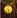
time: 4:28
